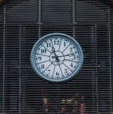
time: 11:13
